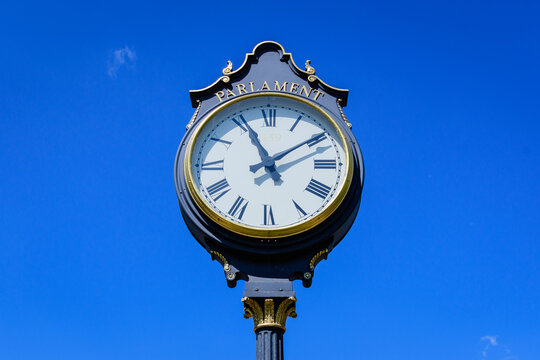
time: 11:09
